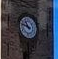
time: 10:47
